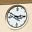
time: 2:48
